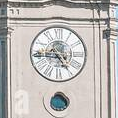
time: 4:44
